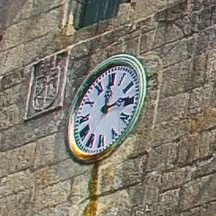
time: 12:13
